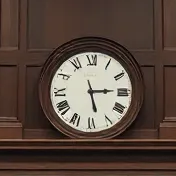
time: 5:14
